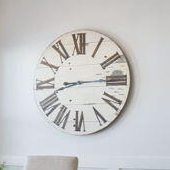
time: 8:14
